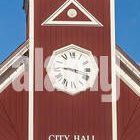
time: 9:17
